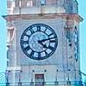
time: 4:12
